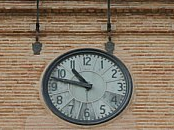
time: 10:47
